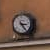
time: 3:24
